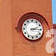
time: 2:15
